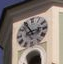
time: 2:54
